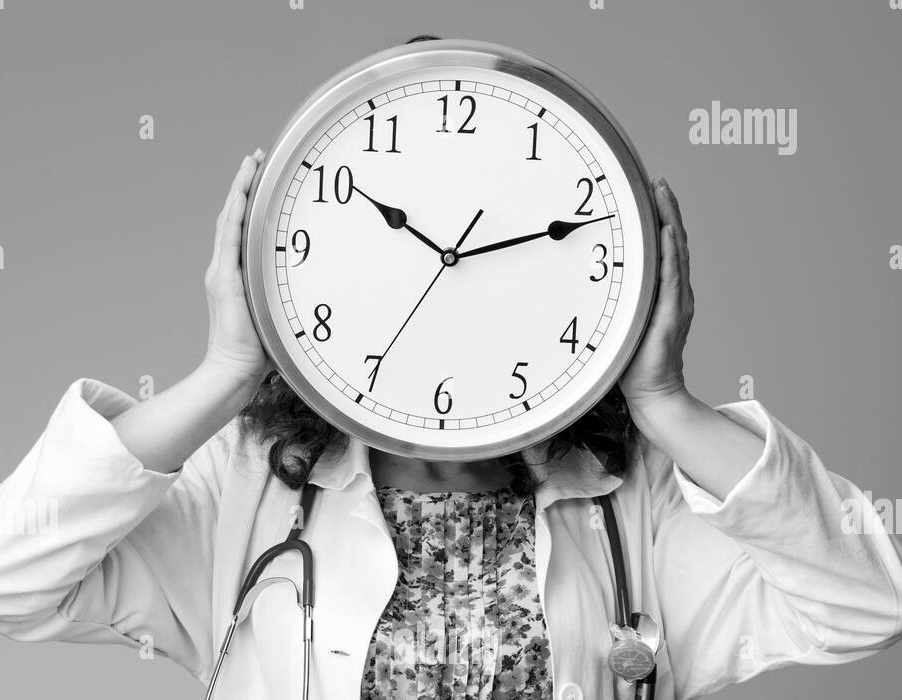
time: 10:12
